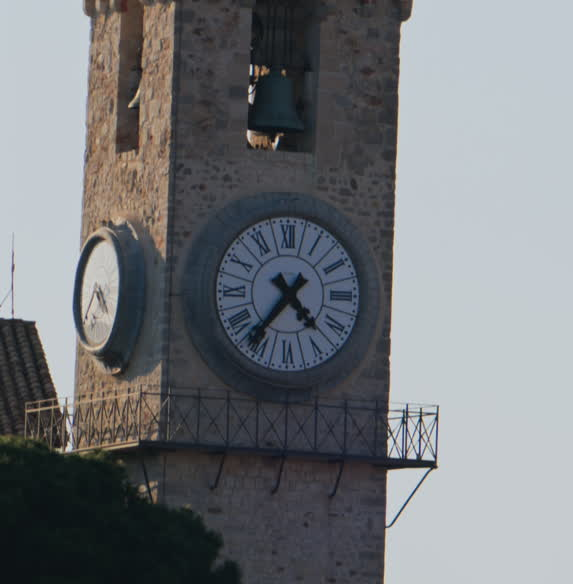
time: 4:36
